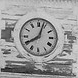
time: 8:03
